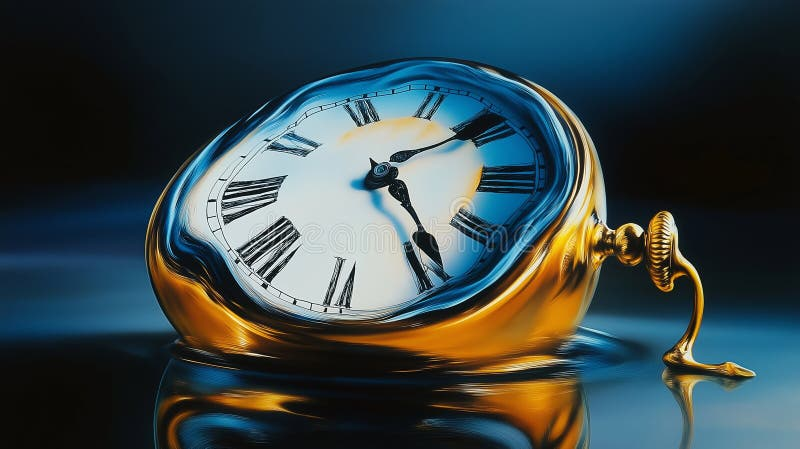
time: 1:24
